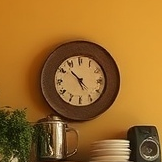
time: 4:52
